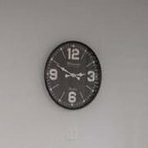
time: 2:49
